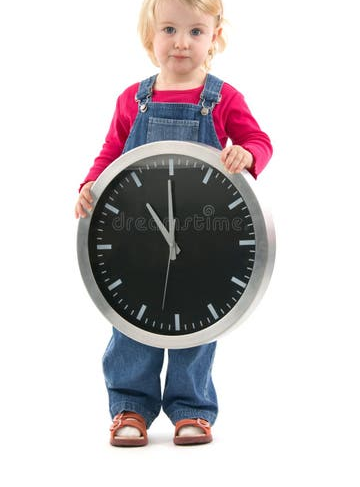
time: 10:59
